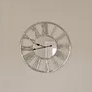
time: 9:43
